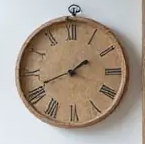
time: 1:41
